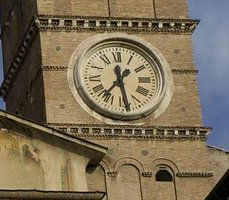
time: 7:28
